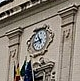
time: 10:42
